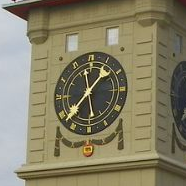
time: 1:37
